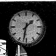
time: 1:32
